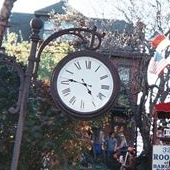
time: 4:46
